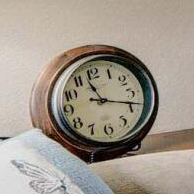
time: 11:18
